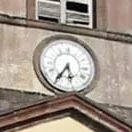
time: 5:35
